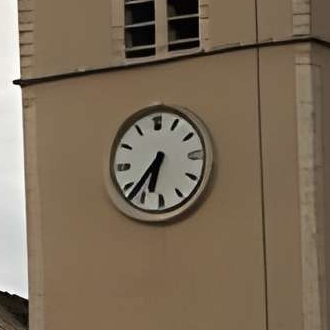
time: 6:37
